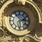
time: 2:29
